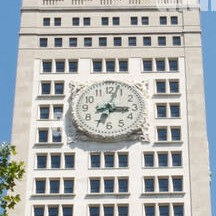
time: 3:03
